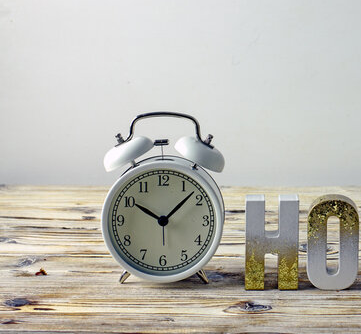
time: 10:07
